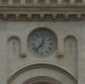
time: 12:37
